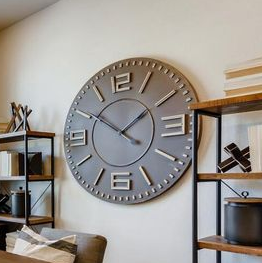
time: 1:50
